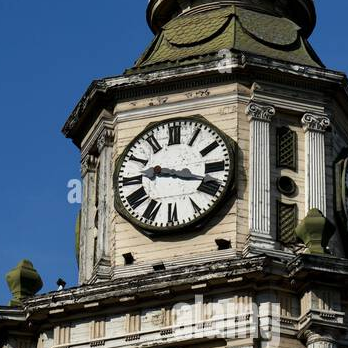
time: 9:18
